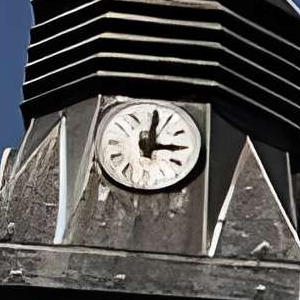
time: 12:14
